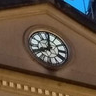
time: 8:00
